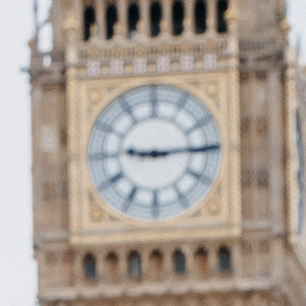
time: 9:14
